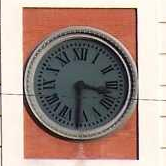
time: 3:30
